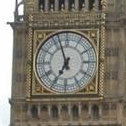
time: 6:56
